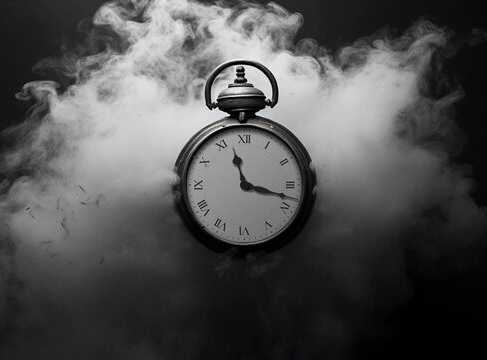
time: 11:17
